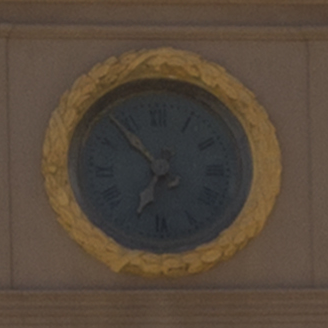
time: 6:53
